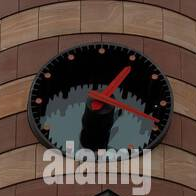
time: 1:18
